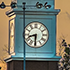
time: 8:30
